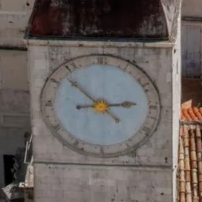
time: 2:52
